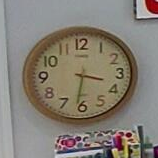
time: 3:31
